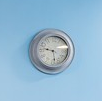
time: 9:28
